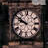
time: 9:50
